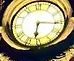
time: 6:16
